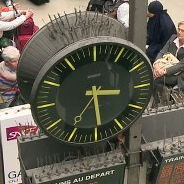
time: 3:29
